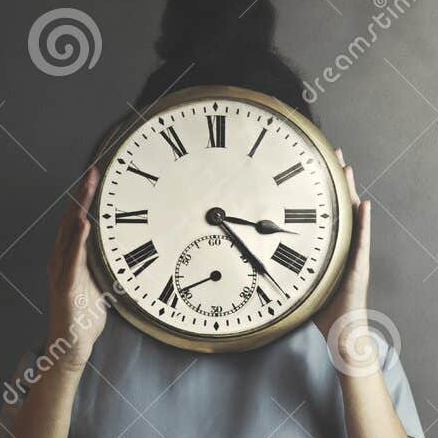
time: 3:23
